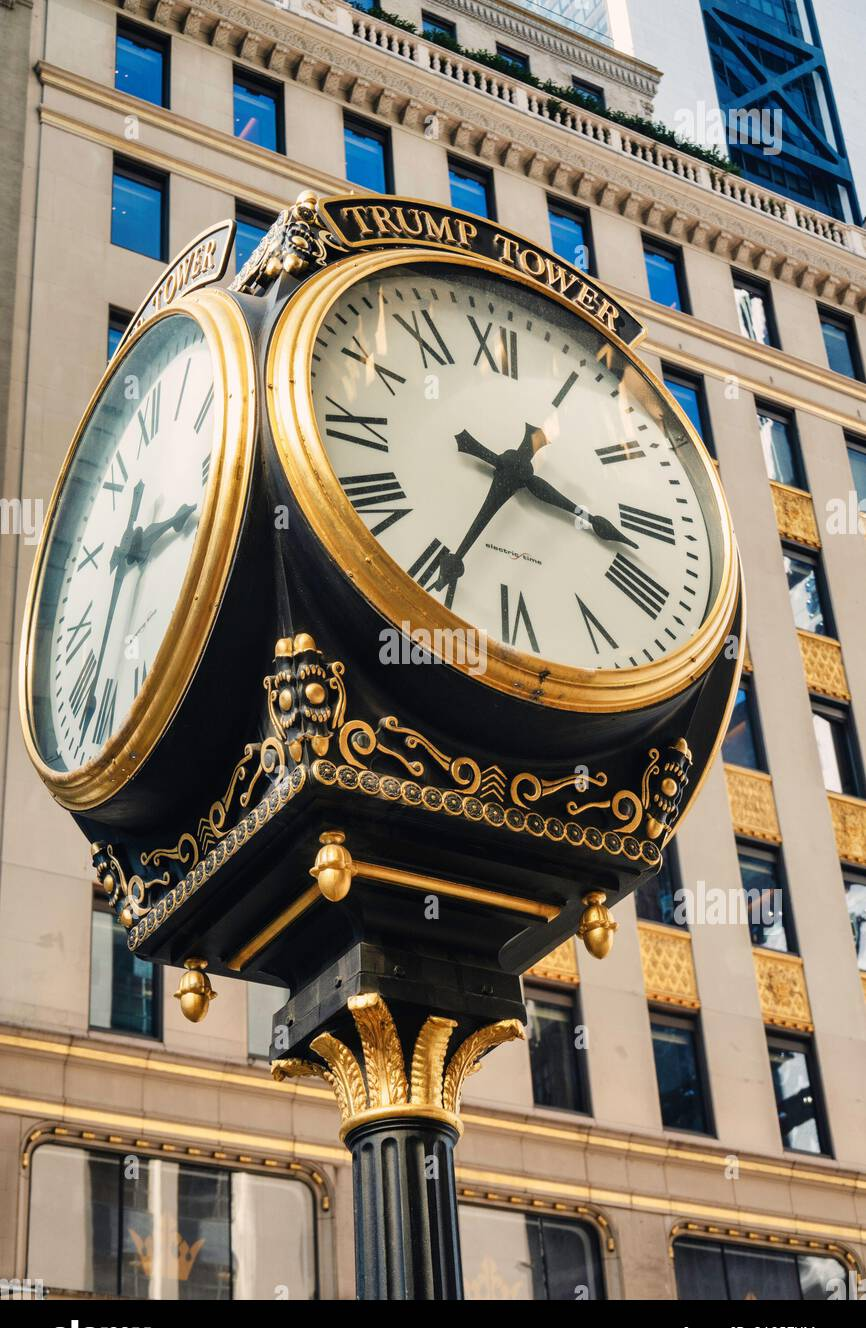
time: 3:34
